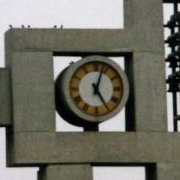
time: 5:03
